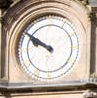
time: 9:50
